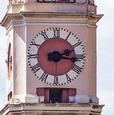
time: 2:16
